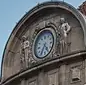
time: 4:34
